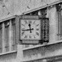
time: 11:43
